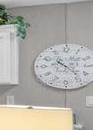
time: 10:22
